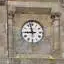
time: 8:57
